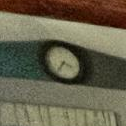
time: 3:35
